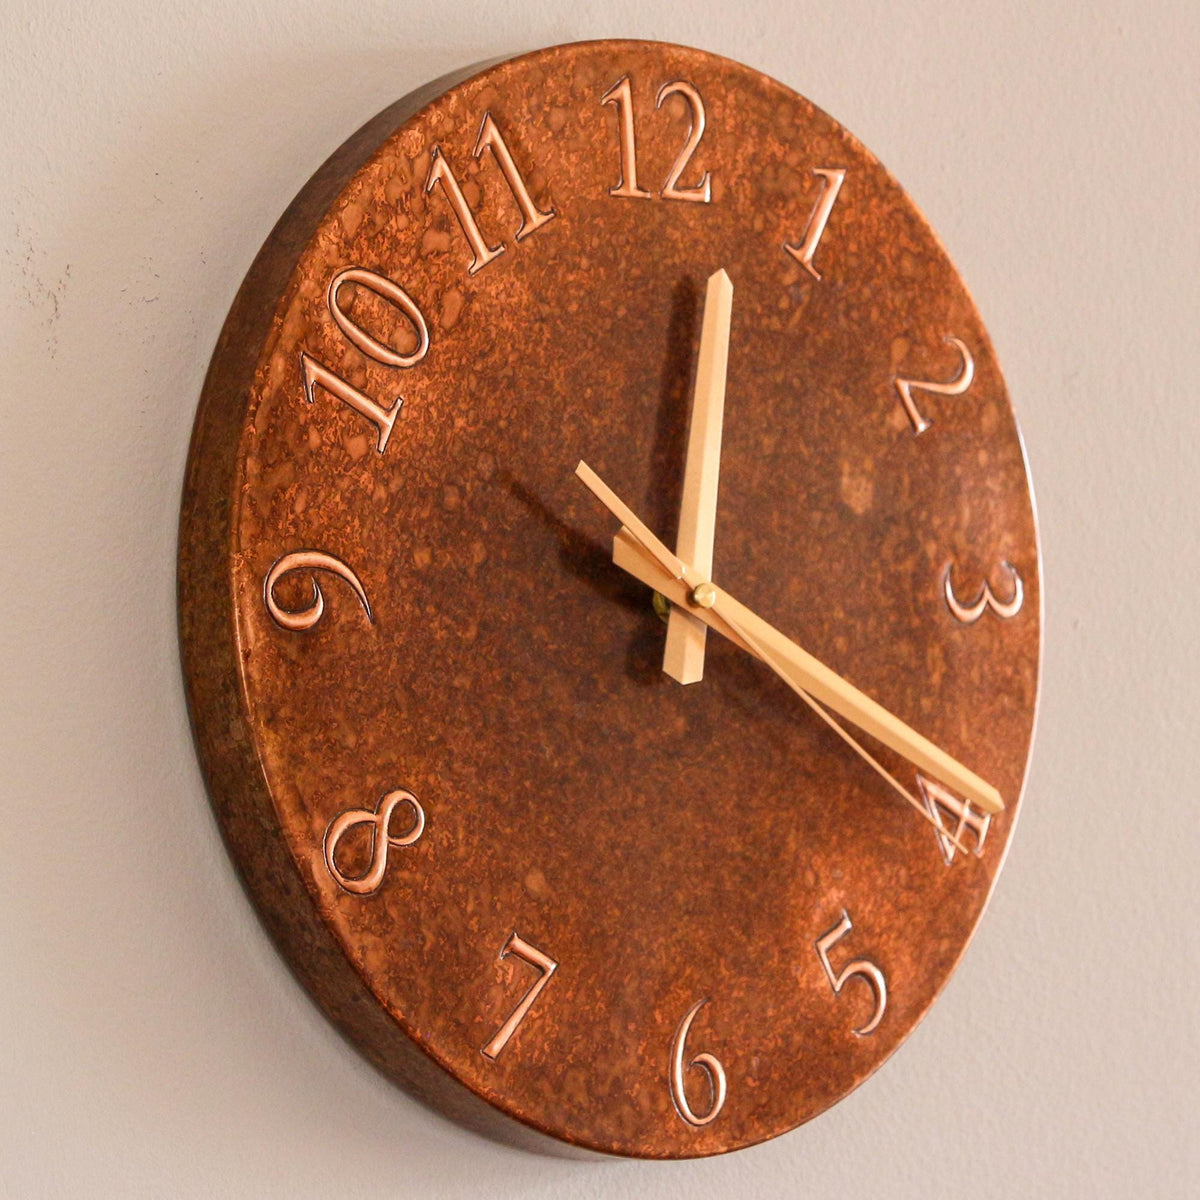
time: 12:19
